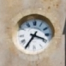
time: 3:35
